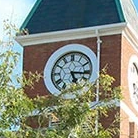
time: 5:16
